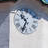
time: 10:34
